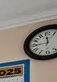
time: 11:44
